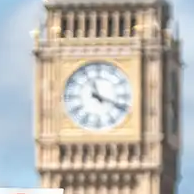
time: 11:18
